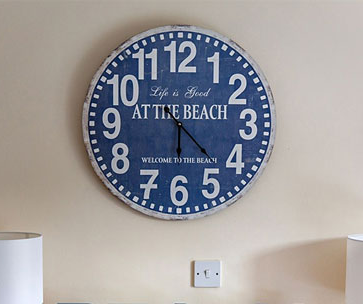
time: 6:22
